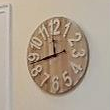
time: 11:43
